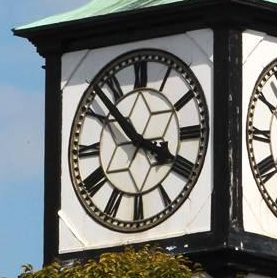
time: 3:52
